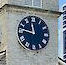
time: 11:46
